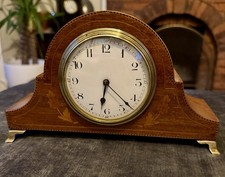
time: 6:22
